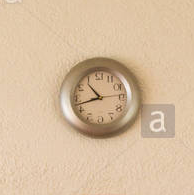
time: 10:42
